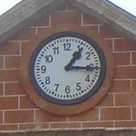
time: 1:15
